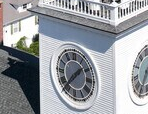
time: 1:37
